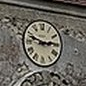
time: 2:48
